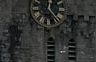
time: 12:23
